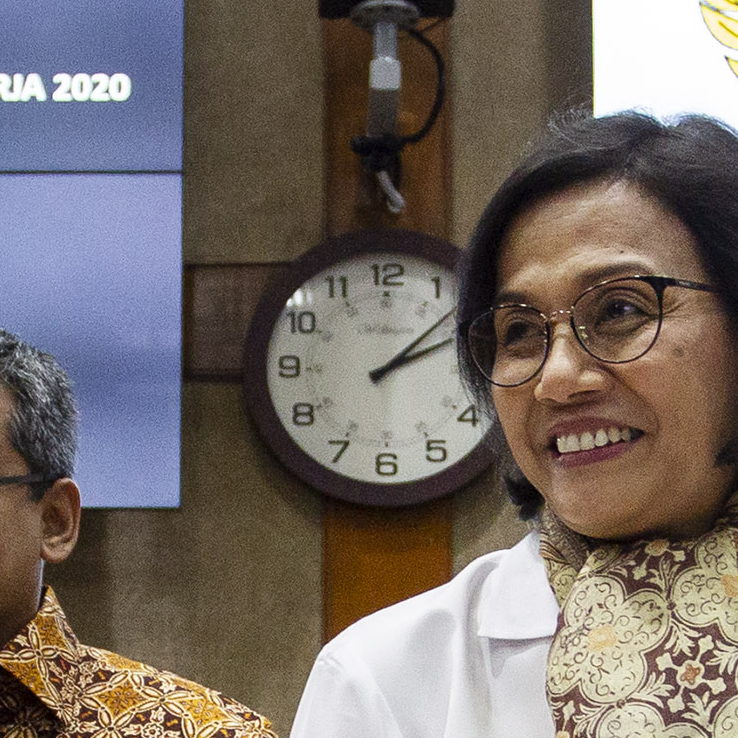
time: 2:08
